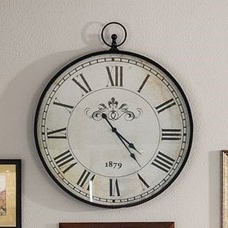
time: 4:23
